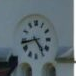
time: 4:42
